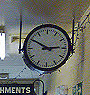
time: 2:50
